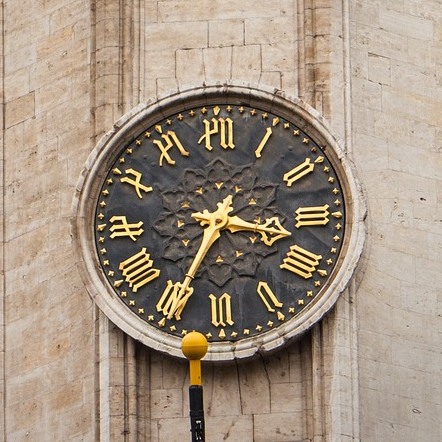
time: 3:34
